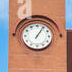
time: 1:05
